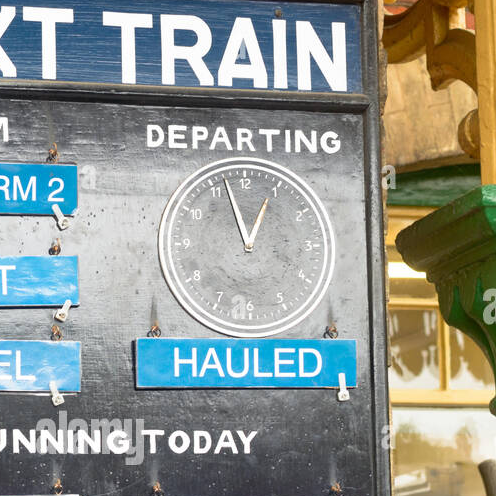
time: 12:57
